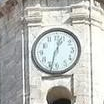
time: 12:32
